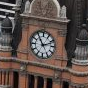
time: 11:11
